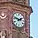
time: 1:47
